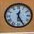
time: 12:25
